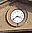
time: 3:39
